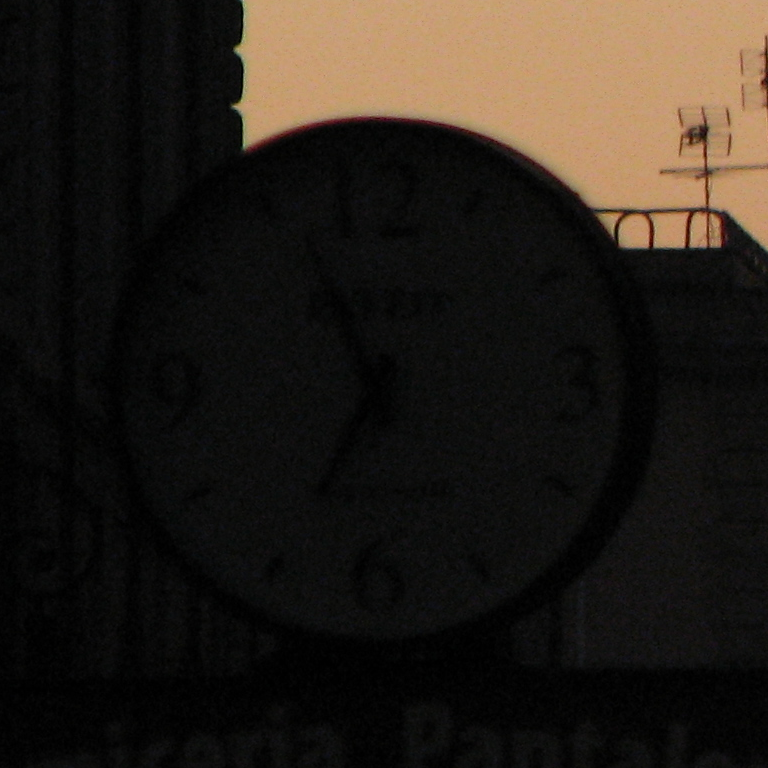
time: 6:55
